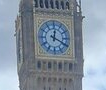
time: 12:19
